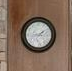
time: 1:43
